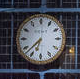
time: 6:37
